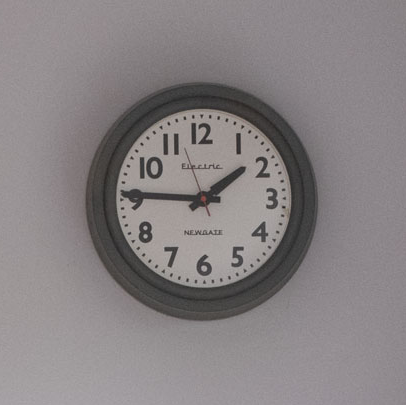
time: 1:45
